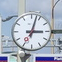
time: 3:02
